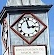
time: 2:57
